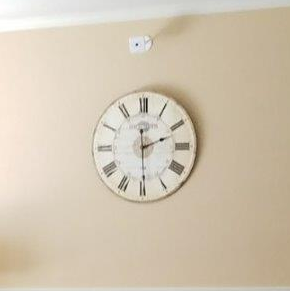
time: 2:29
